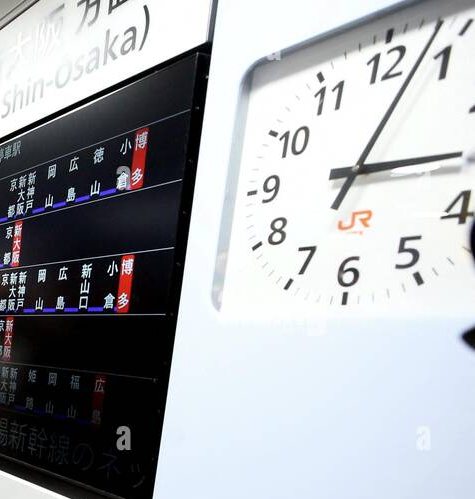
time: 3:03
